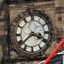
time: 3:38
